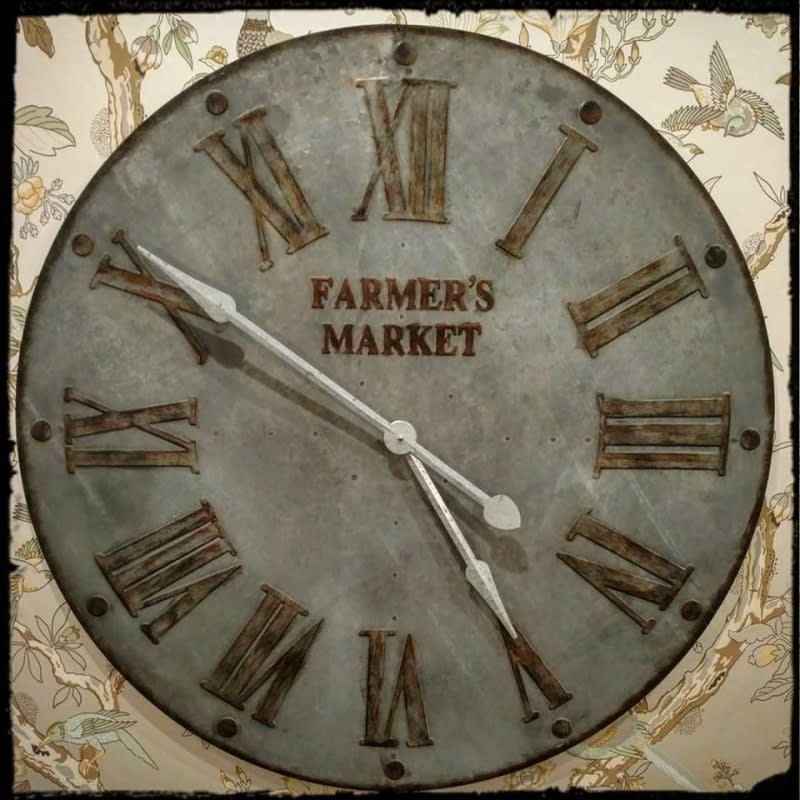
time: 4:49
